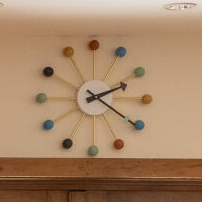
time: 2:20
